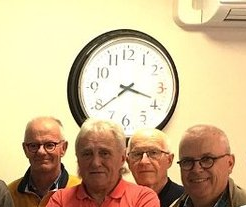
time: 3:39
